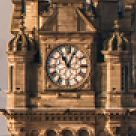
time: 11:04
